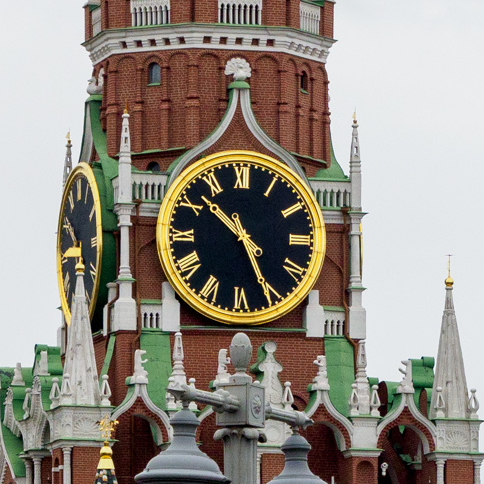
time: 10:26
